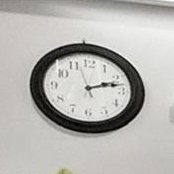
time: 2:12
